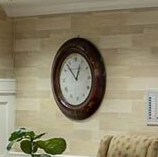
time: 12:52
